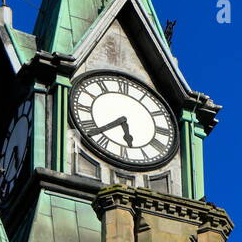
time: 5:37
